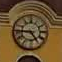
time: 4:45
